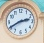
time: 2:40
